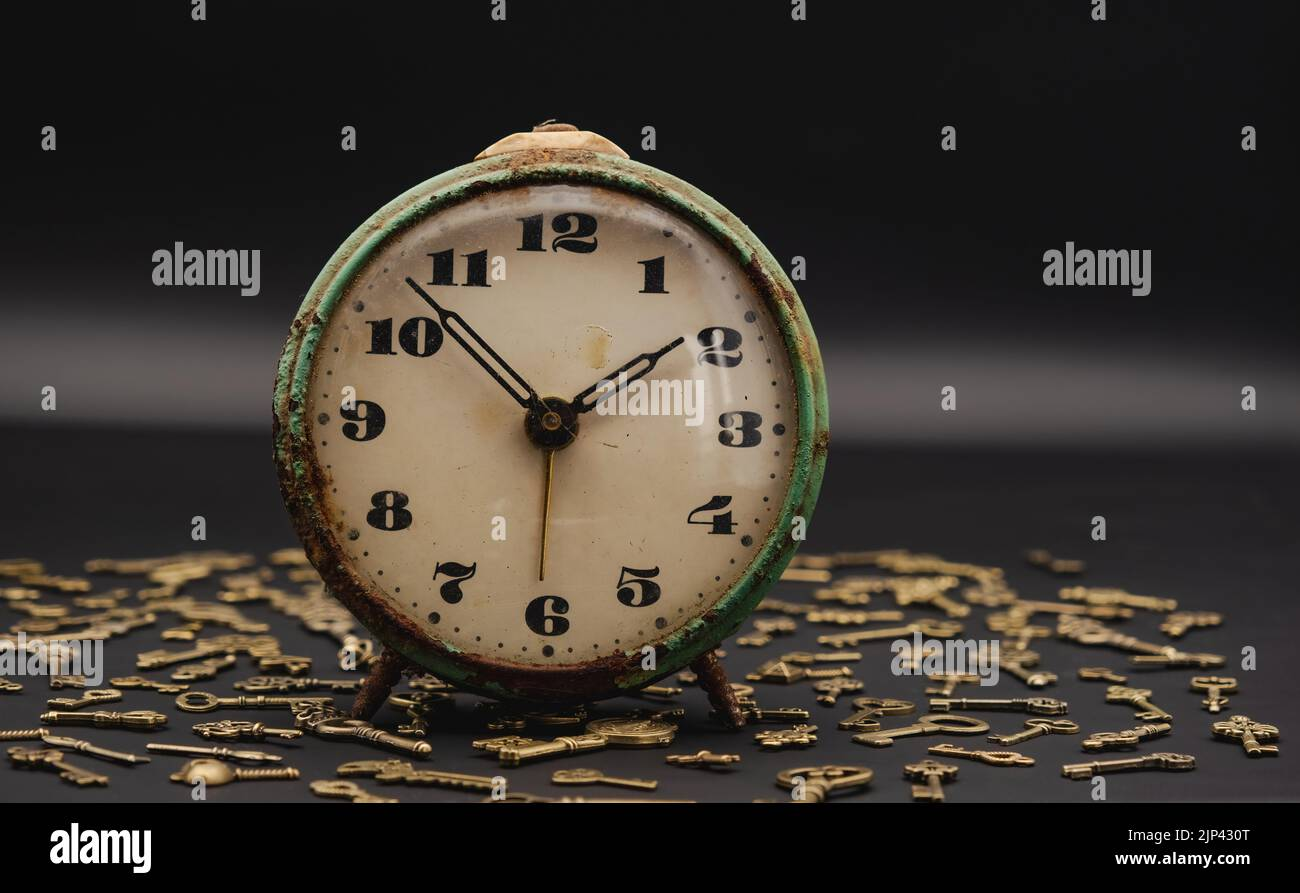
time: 1:52
